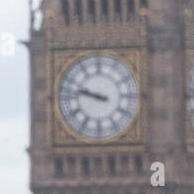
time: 9:47
